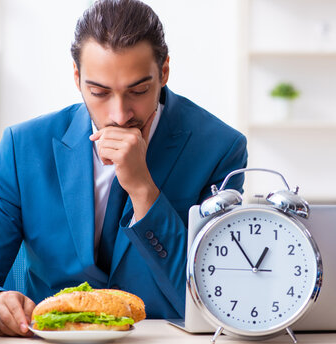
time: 12:54
